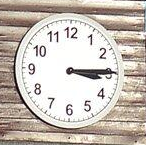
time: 3:14
